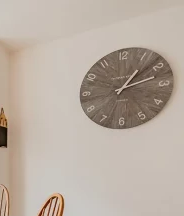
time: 1:12
